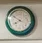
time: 7:50
